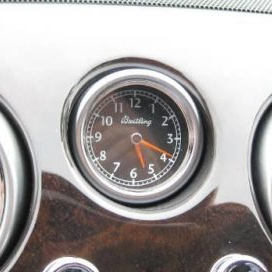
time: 5:19
